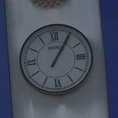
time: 1:05
